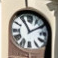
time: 11:09
